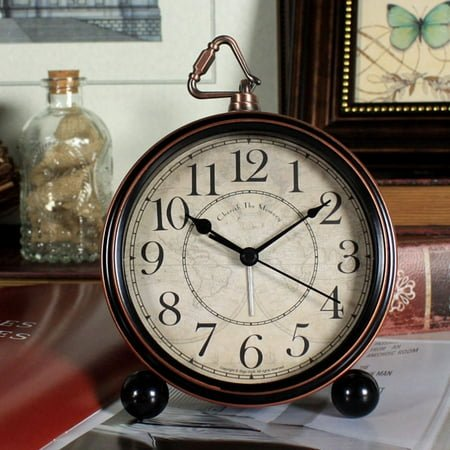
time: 10:09
